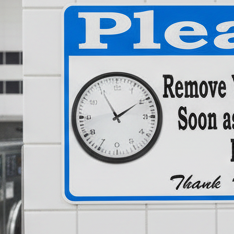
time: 1:54
